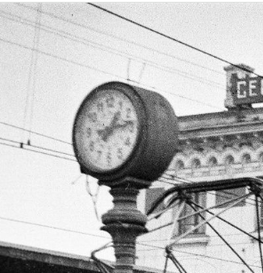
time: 1:13
